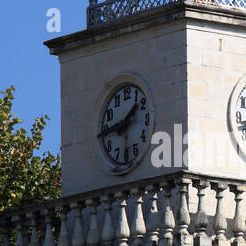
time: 1:44
